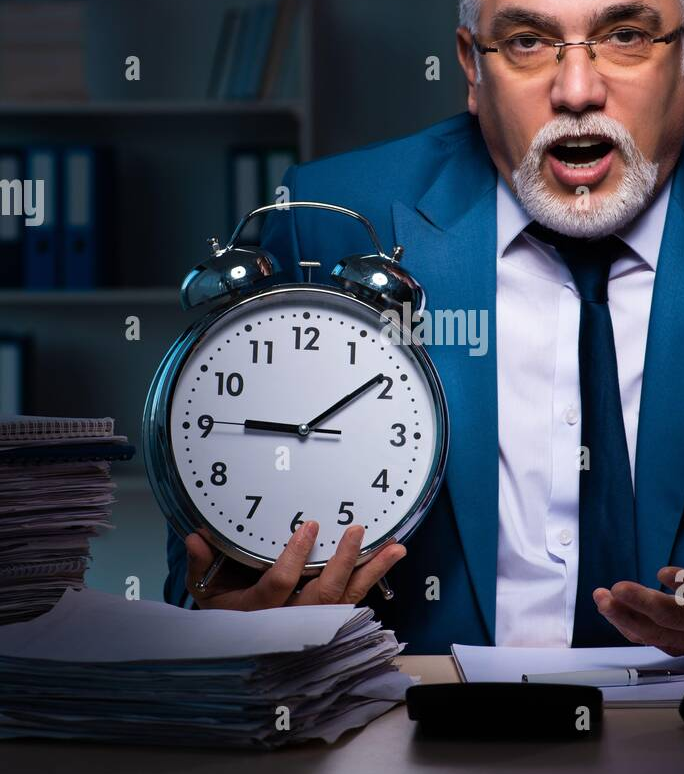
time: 9:09
